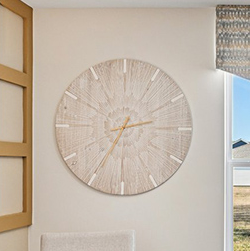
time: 2:35
